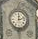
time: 12:12
